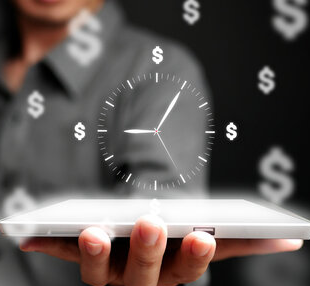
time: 9:05
